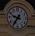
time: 9:36
